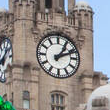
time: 1:11
